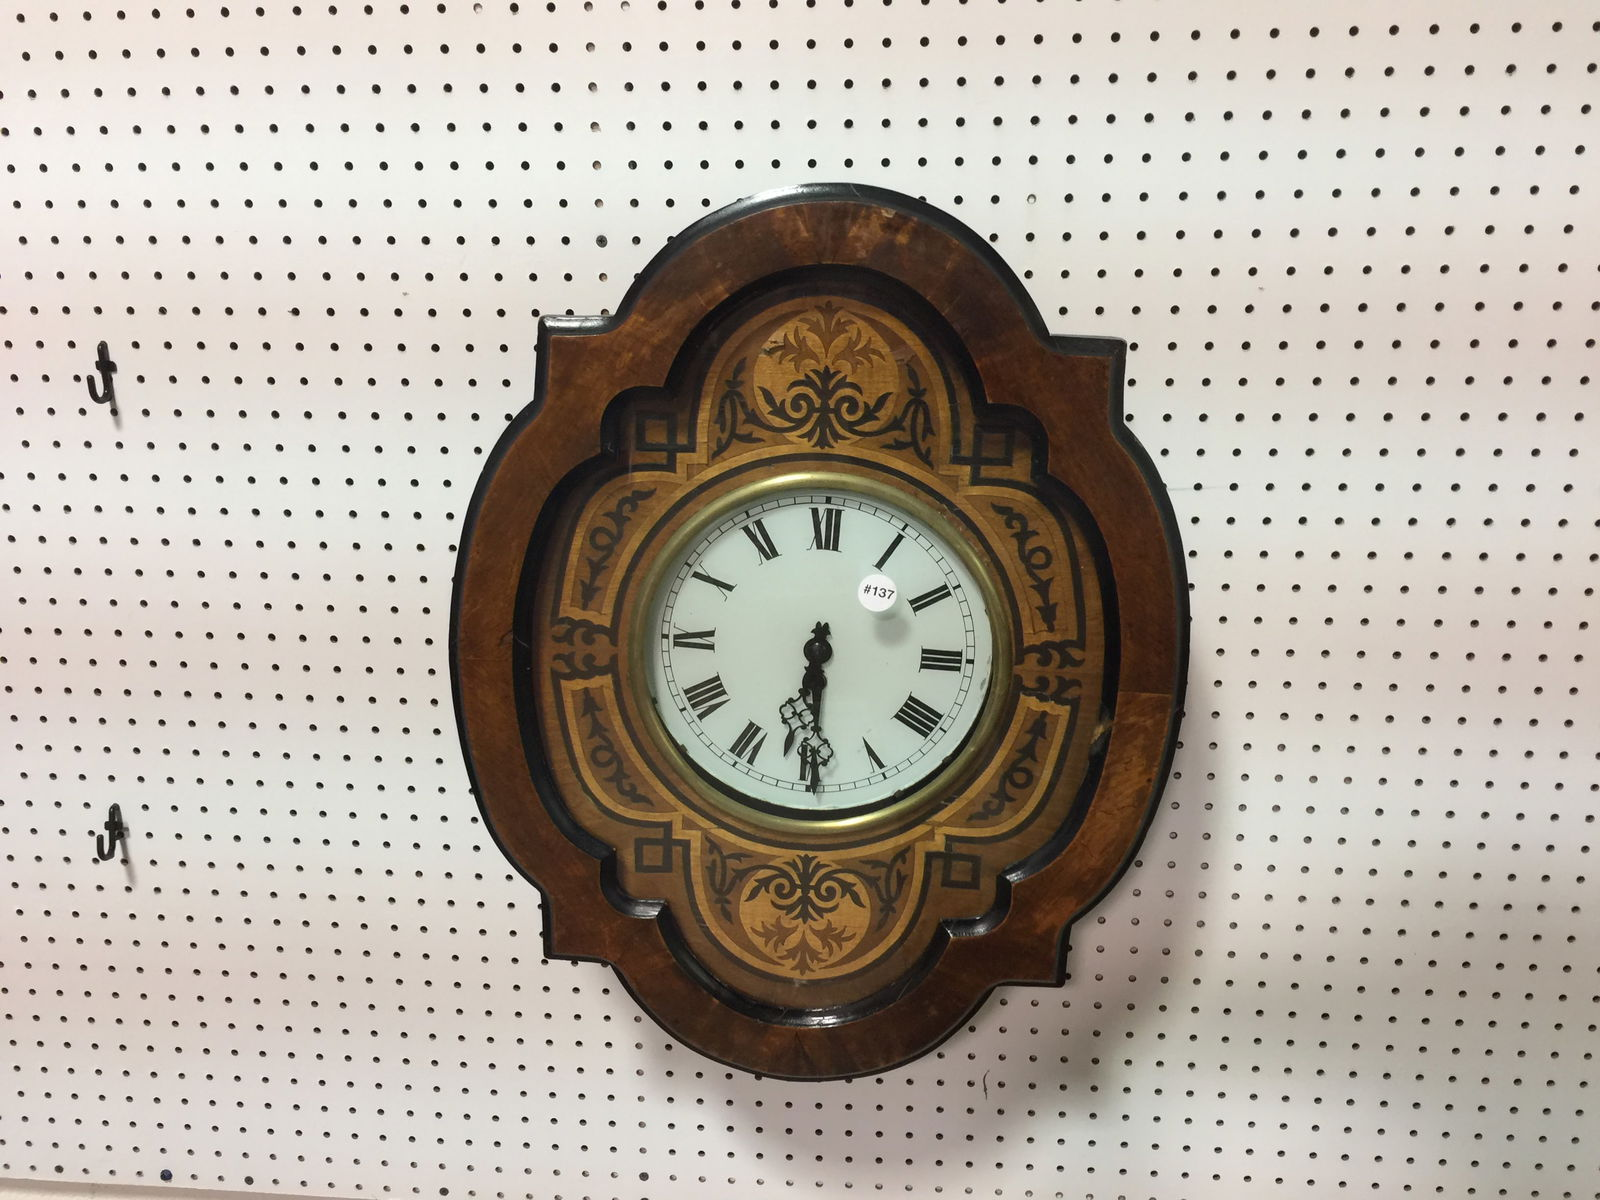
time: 6:29
